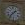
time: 1:37
